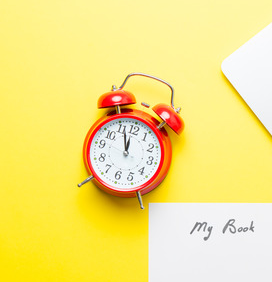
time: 11:56
